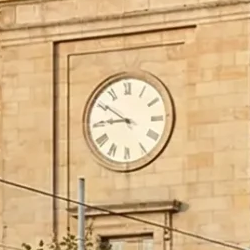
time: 8:50
